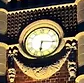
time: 6:16
